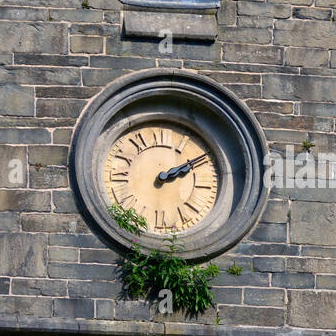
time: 2:09
